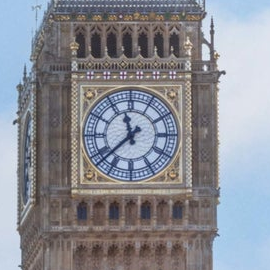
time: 11:37
